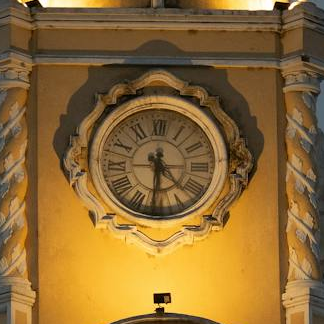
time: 4:31
